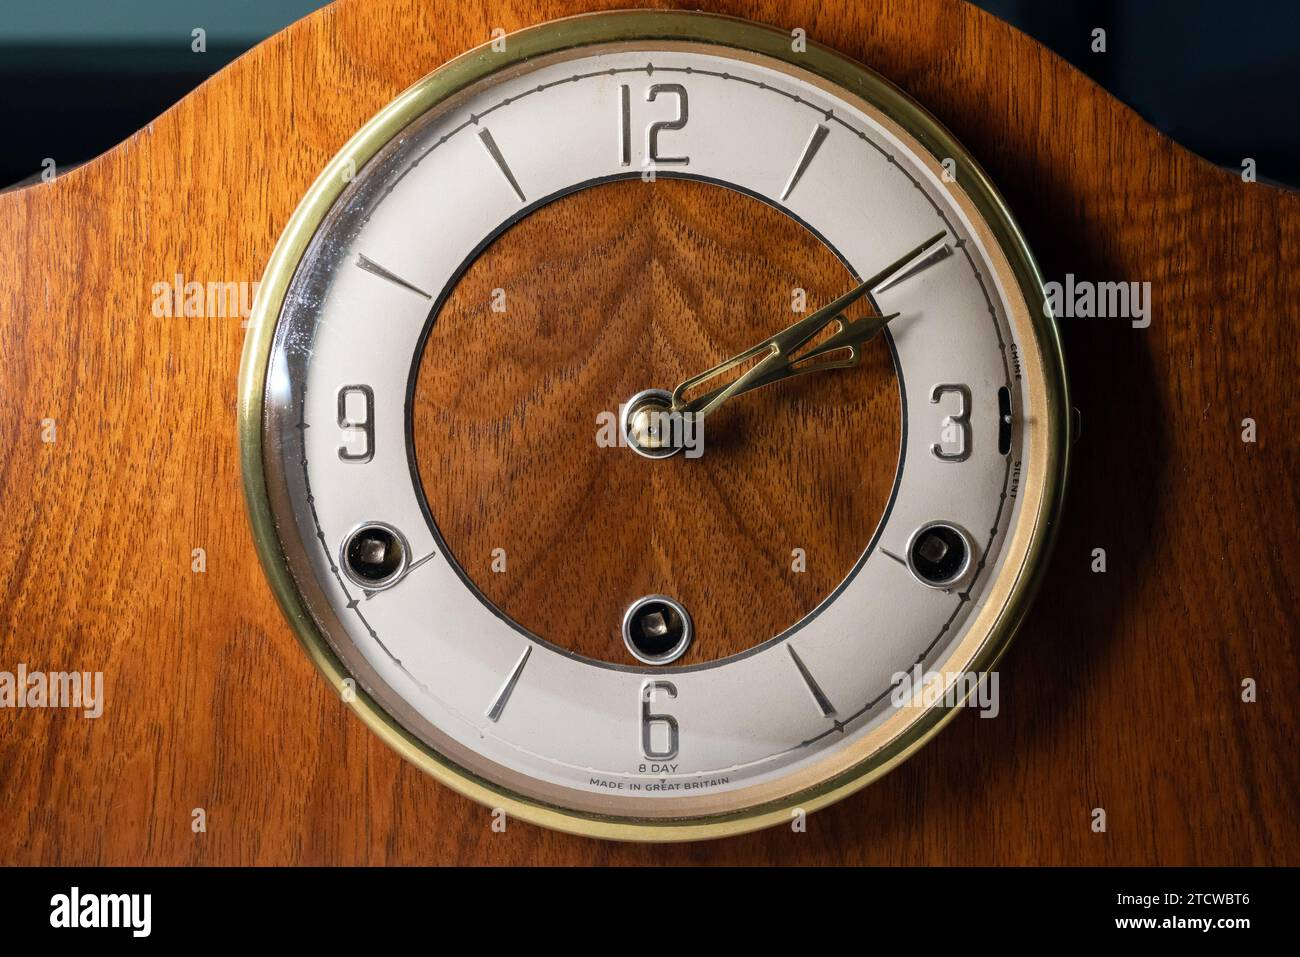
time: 2:09
